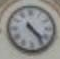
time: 4:23
